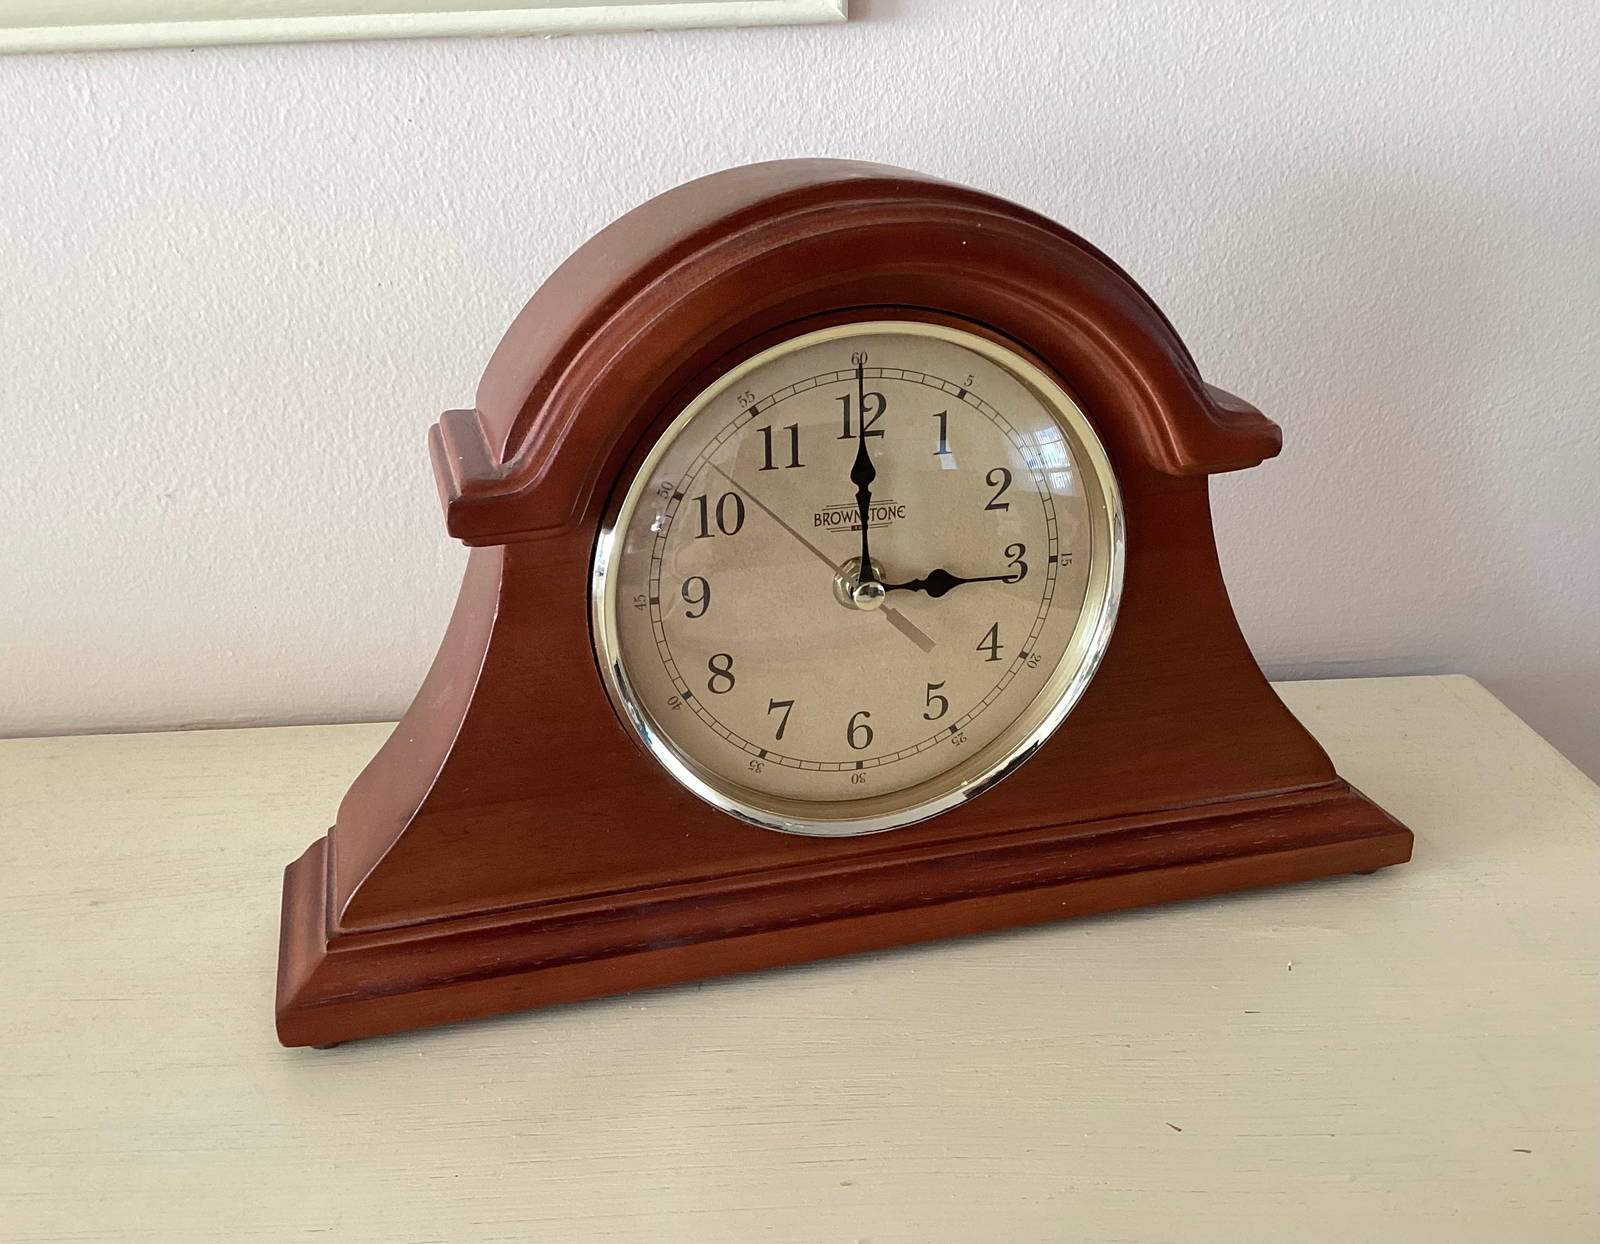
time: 3:00
